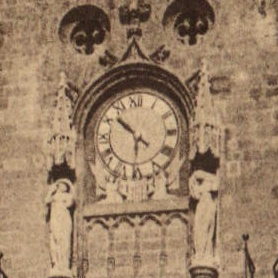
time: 10:30
